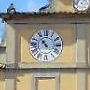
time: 10:53
